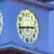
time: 2:43
